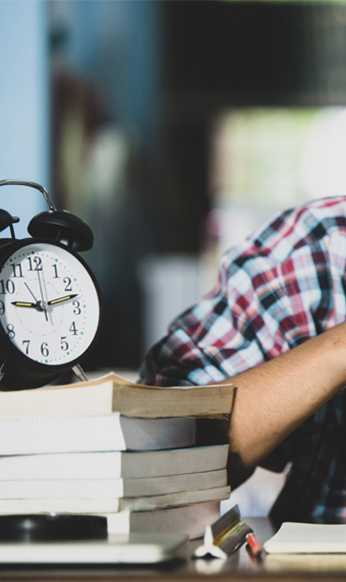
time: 9:12
